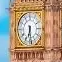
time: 6:29
